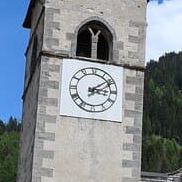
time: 3:09
